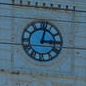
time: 3:02
